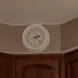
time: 2:21
